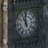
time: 10:59
